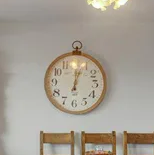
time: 12:03
